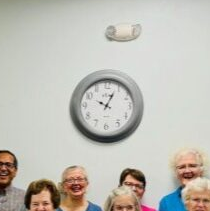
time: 10:04
